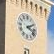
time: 2:18
